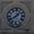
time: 1:39
